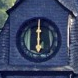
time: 5:59
